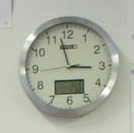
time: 2:57
